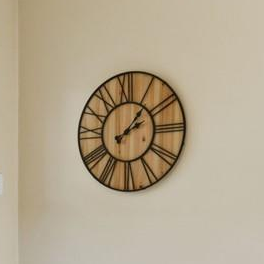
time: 2:06
